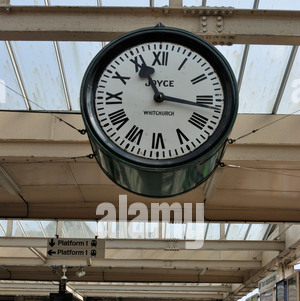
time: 11:16
